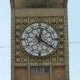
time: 12:20
